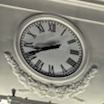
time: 8:40
